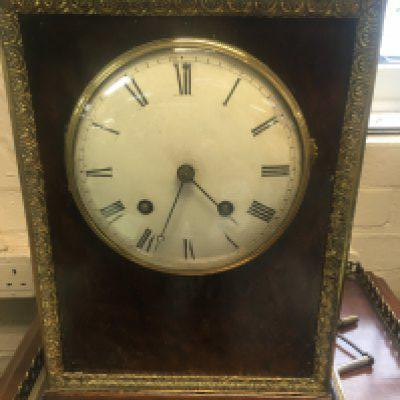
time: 4:33
